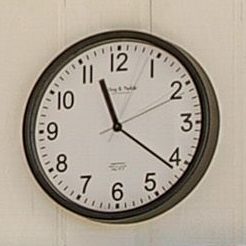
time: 11:21
